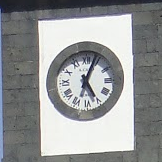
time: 5:03
